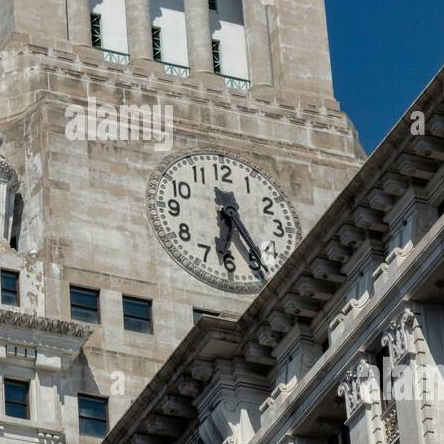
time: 6:24
